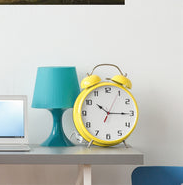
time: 10:15
